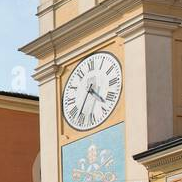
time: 4:35
